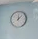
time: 12:07
